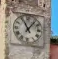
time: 11:06
